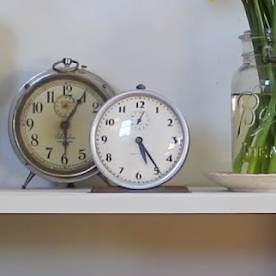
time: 5:24
